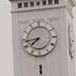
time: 7:43
